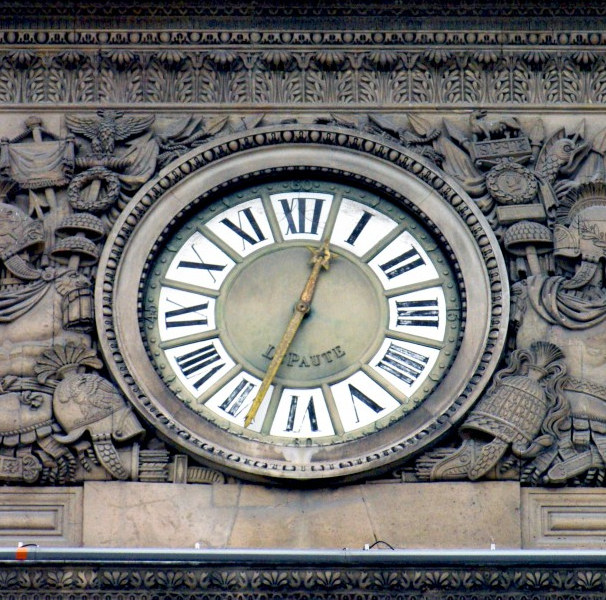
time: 12:33
